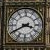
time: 3:40
